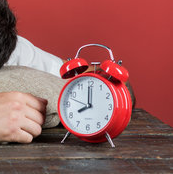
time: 7:59
